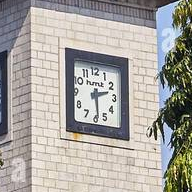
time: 2:28
